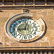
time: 9:01
